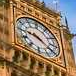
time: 9:20
